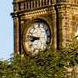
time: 8:47
